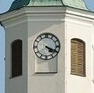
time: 4:19
